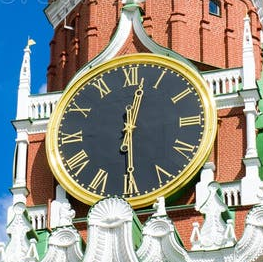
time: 12:29
